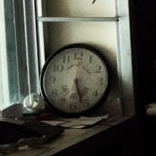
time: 5:26
